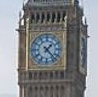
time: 1:22
